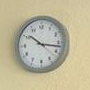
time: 10:16
